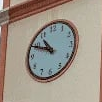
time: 10:49
